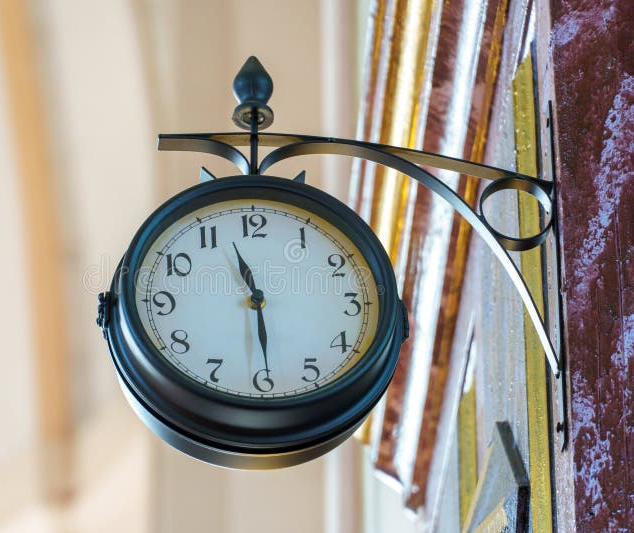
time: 11:29
